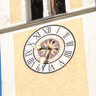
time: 9:33
